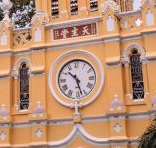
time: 10:27
